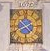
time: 4:40
